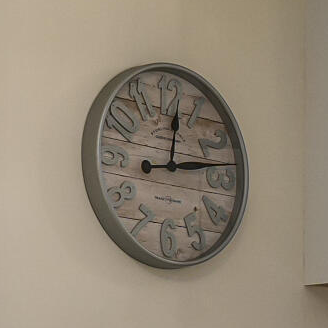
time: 12:13
